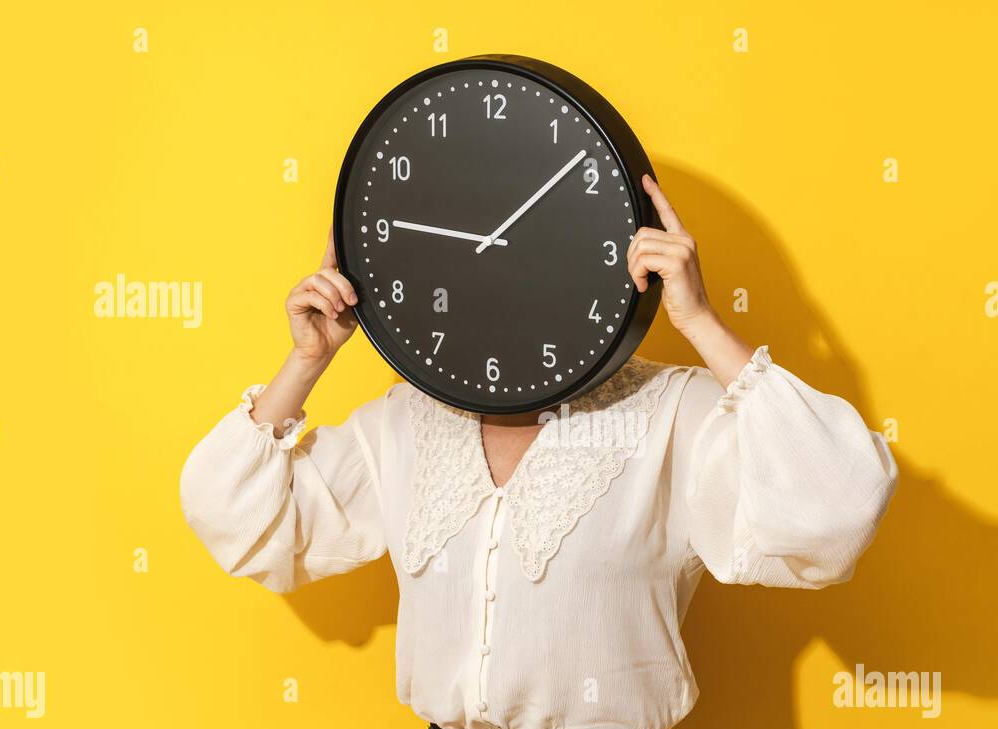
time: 9:08
